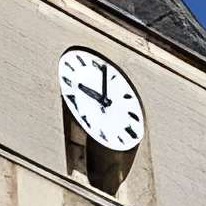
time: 9:02
